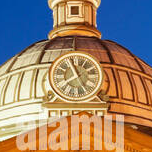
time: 7:55
